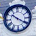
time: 10:20
